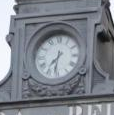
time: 7:31
